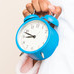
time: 8:47
